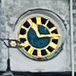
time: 11:13
